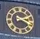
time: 2:18
